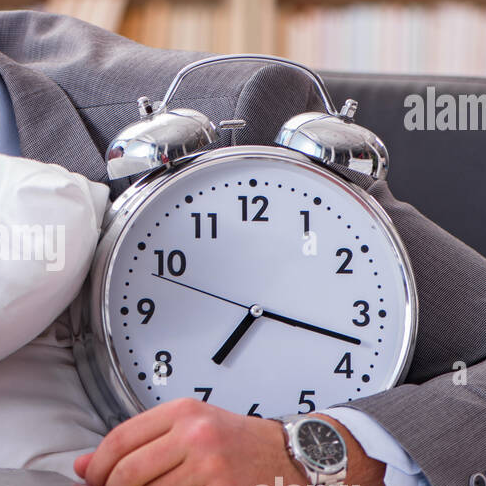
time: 7:17
